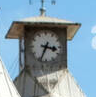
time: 3:34
